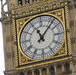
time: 11:07
